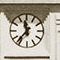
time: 11:36
